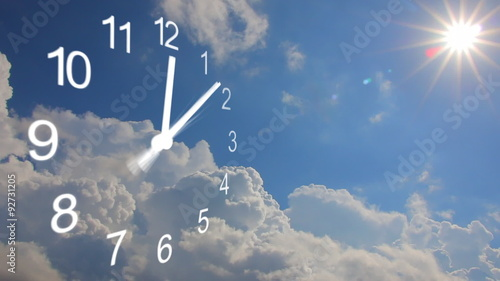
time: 12:07
